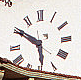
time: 5:50
